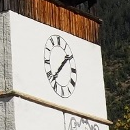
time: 1:37
